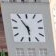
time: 5:54
